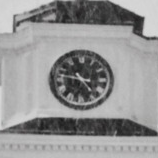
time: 4:46
